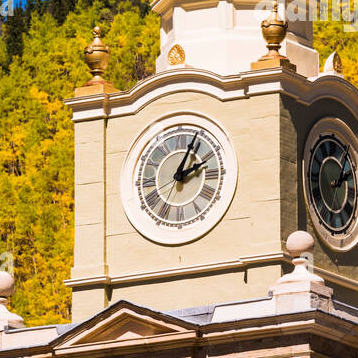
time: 2:04
